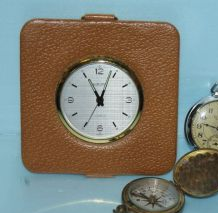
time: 11:03
